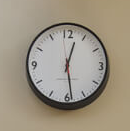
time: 12:28
